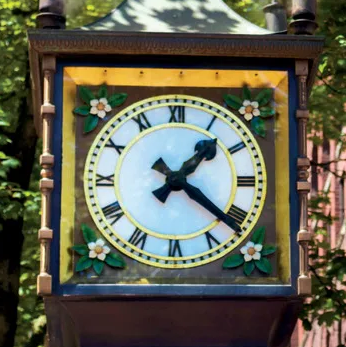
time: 1:21
